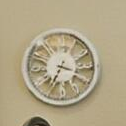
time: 3:34
